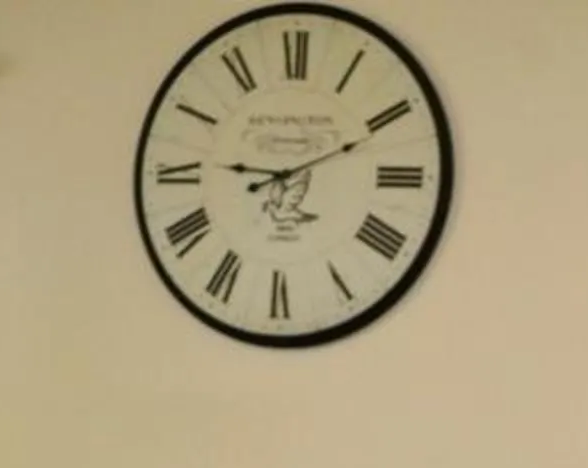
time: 9:10
